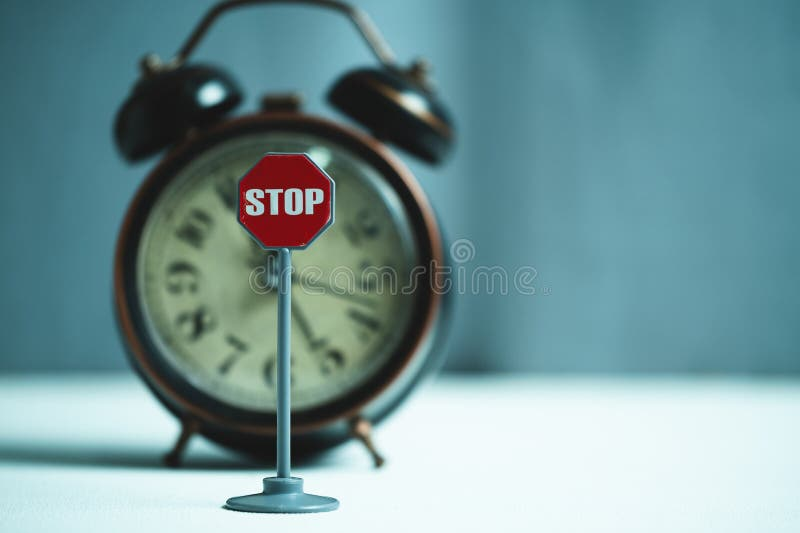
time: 5:18
